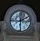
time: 6:10
